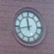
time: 11:43
